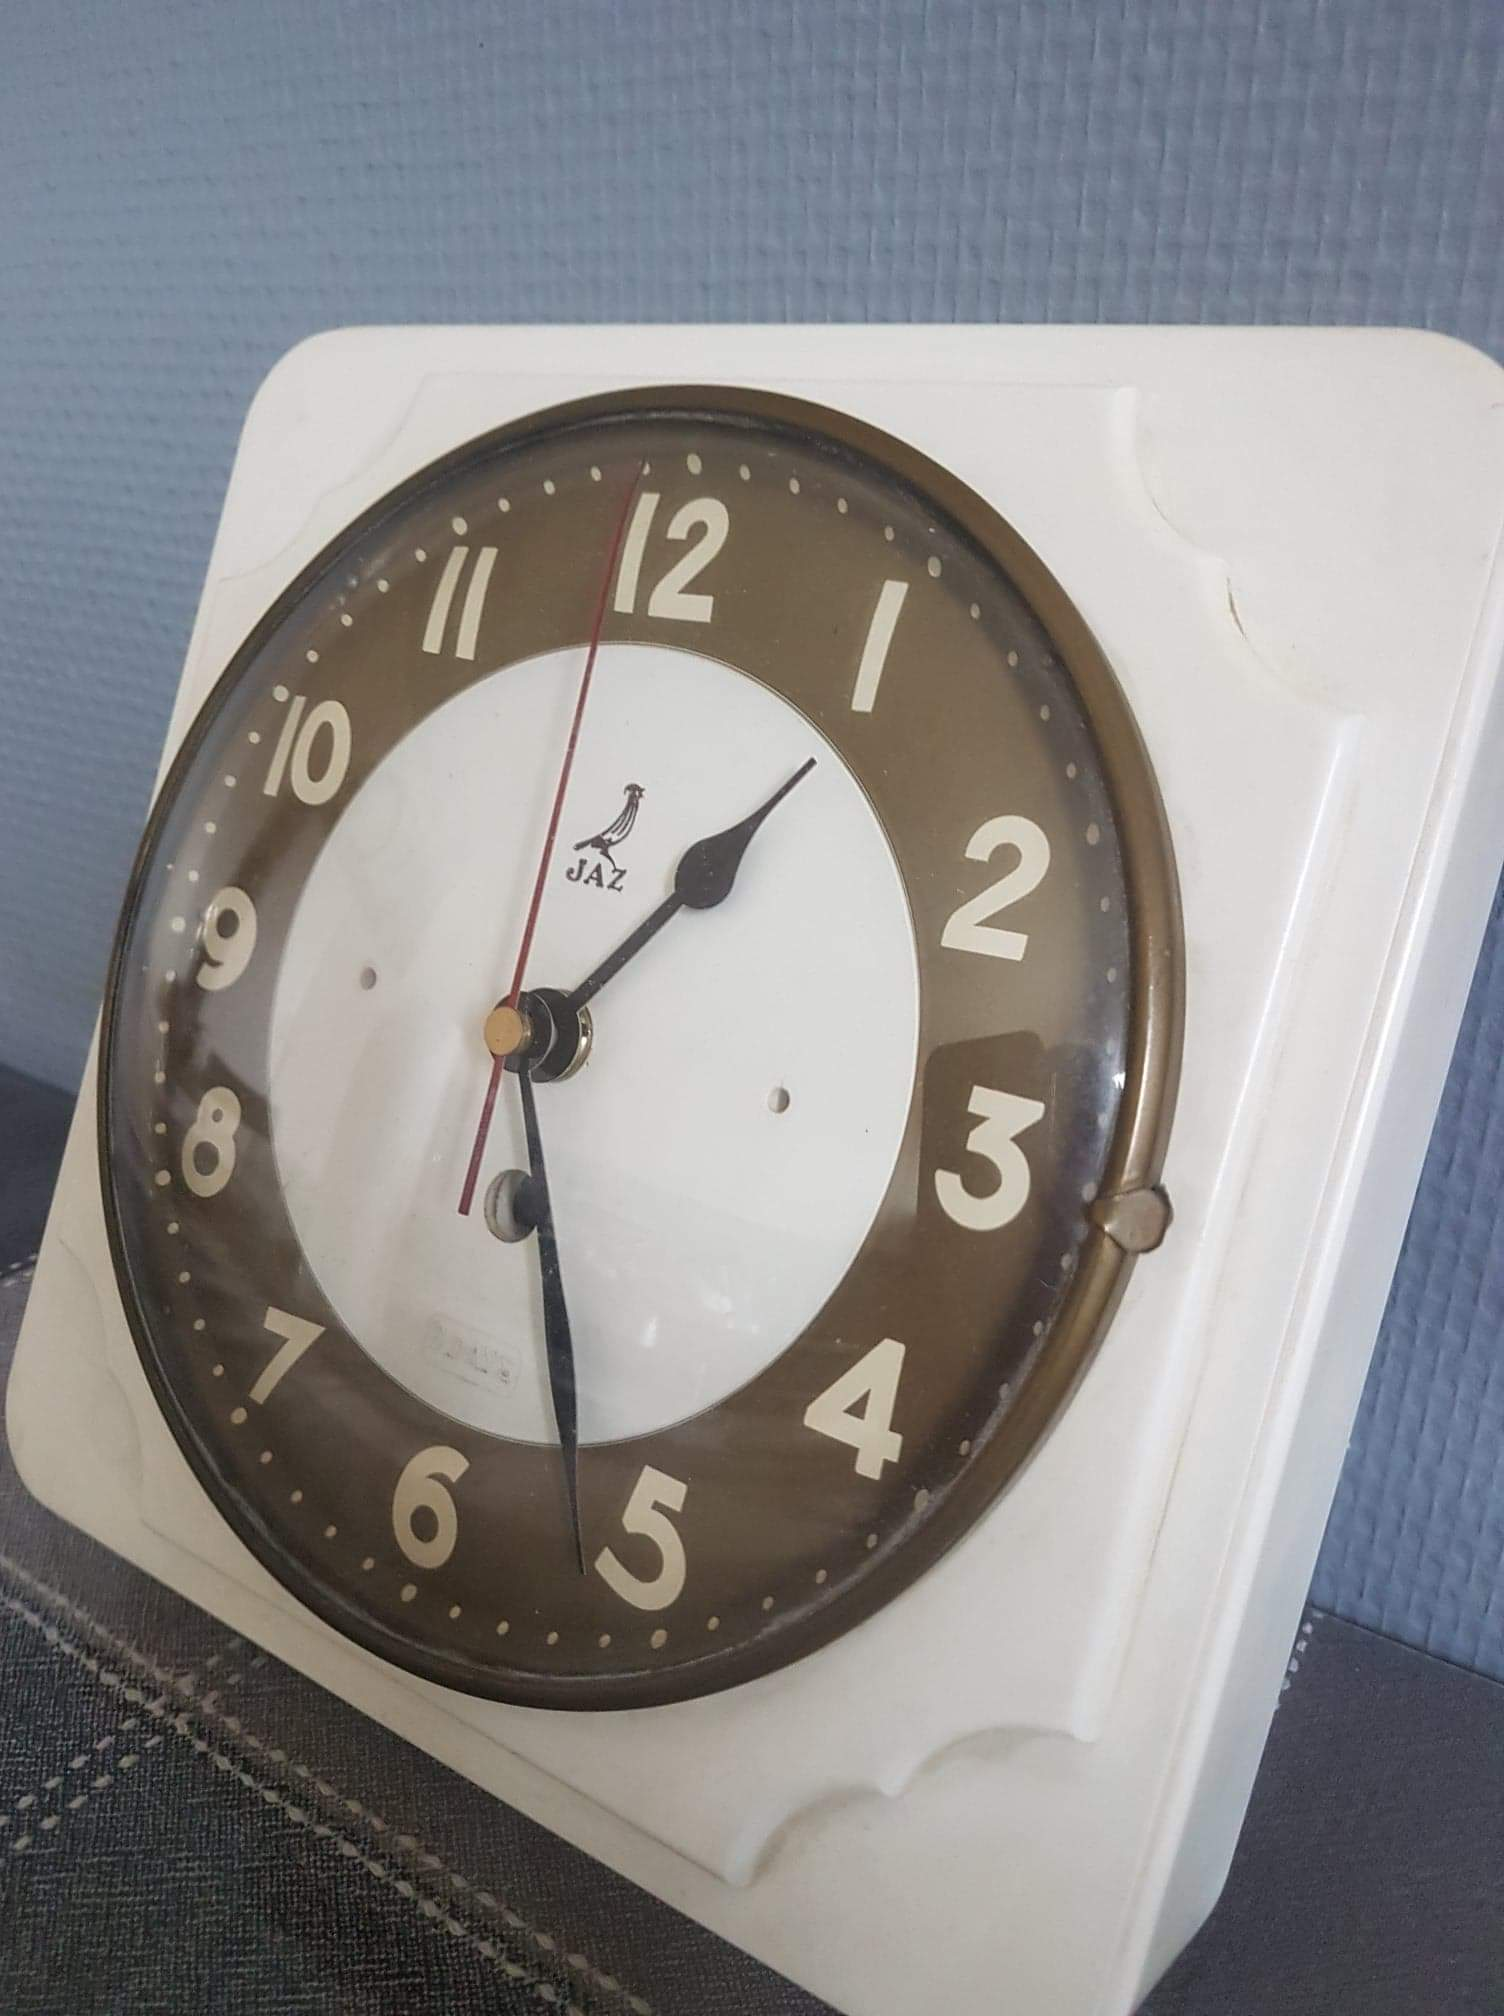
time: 1:26
